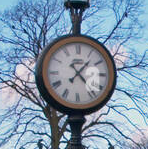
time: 7:23
